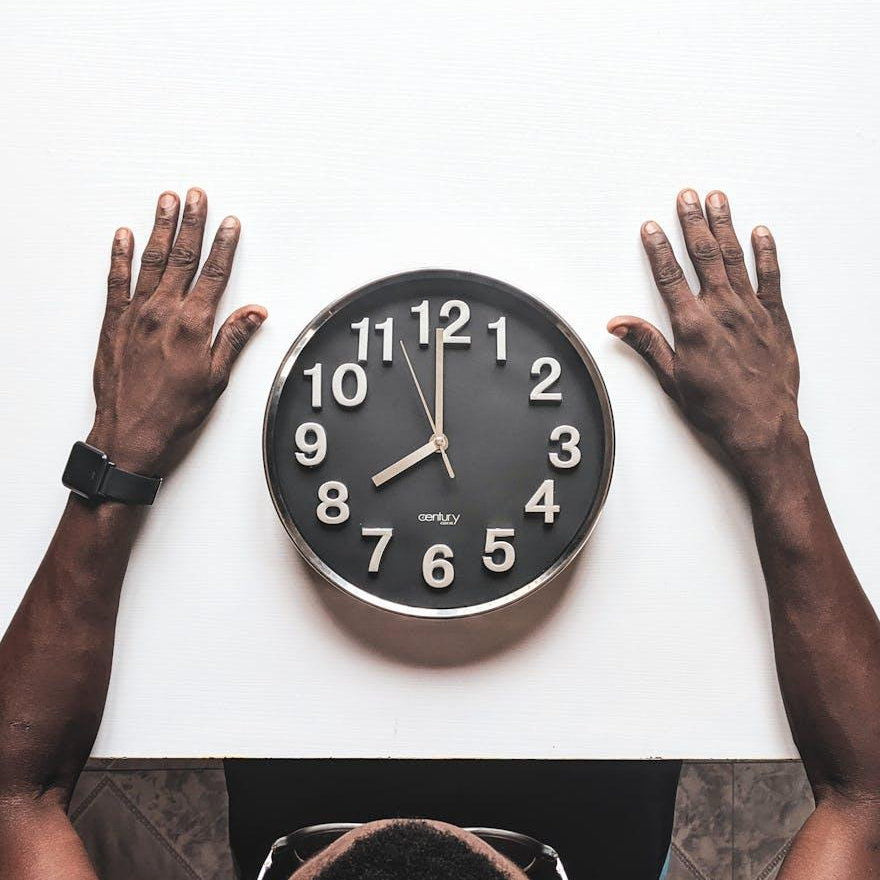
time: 7:59
